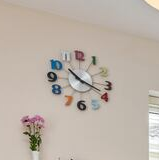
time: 10:18
